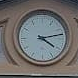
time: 4:13
